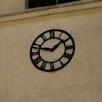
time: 1:47
